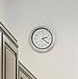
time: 2:21
